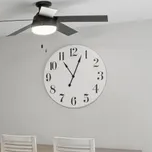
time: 11:03
